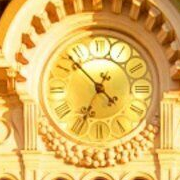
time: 6:52
